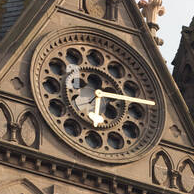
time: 6:15
